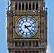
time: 2:23
